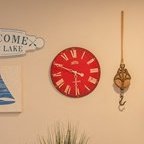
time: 3:49
